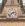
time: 2:37
